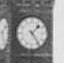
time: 1:23
